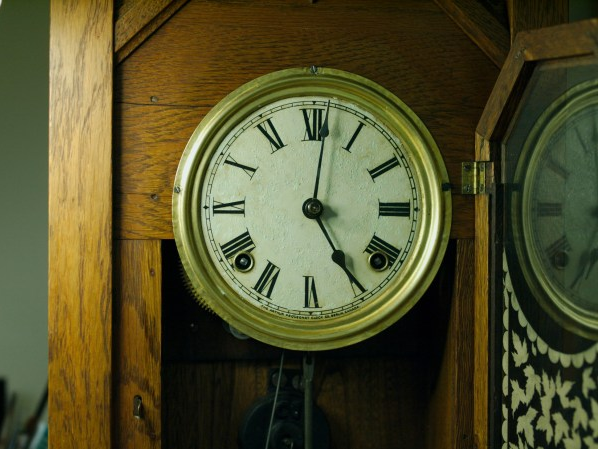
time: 5:01
